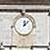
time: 12:07
